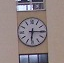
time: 6:15
